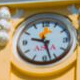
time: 9:27
